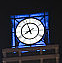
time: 7:57
